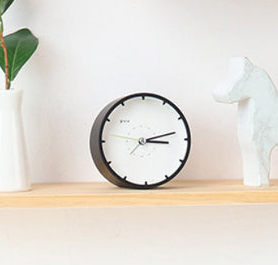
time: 3:12
